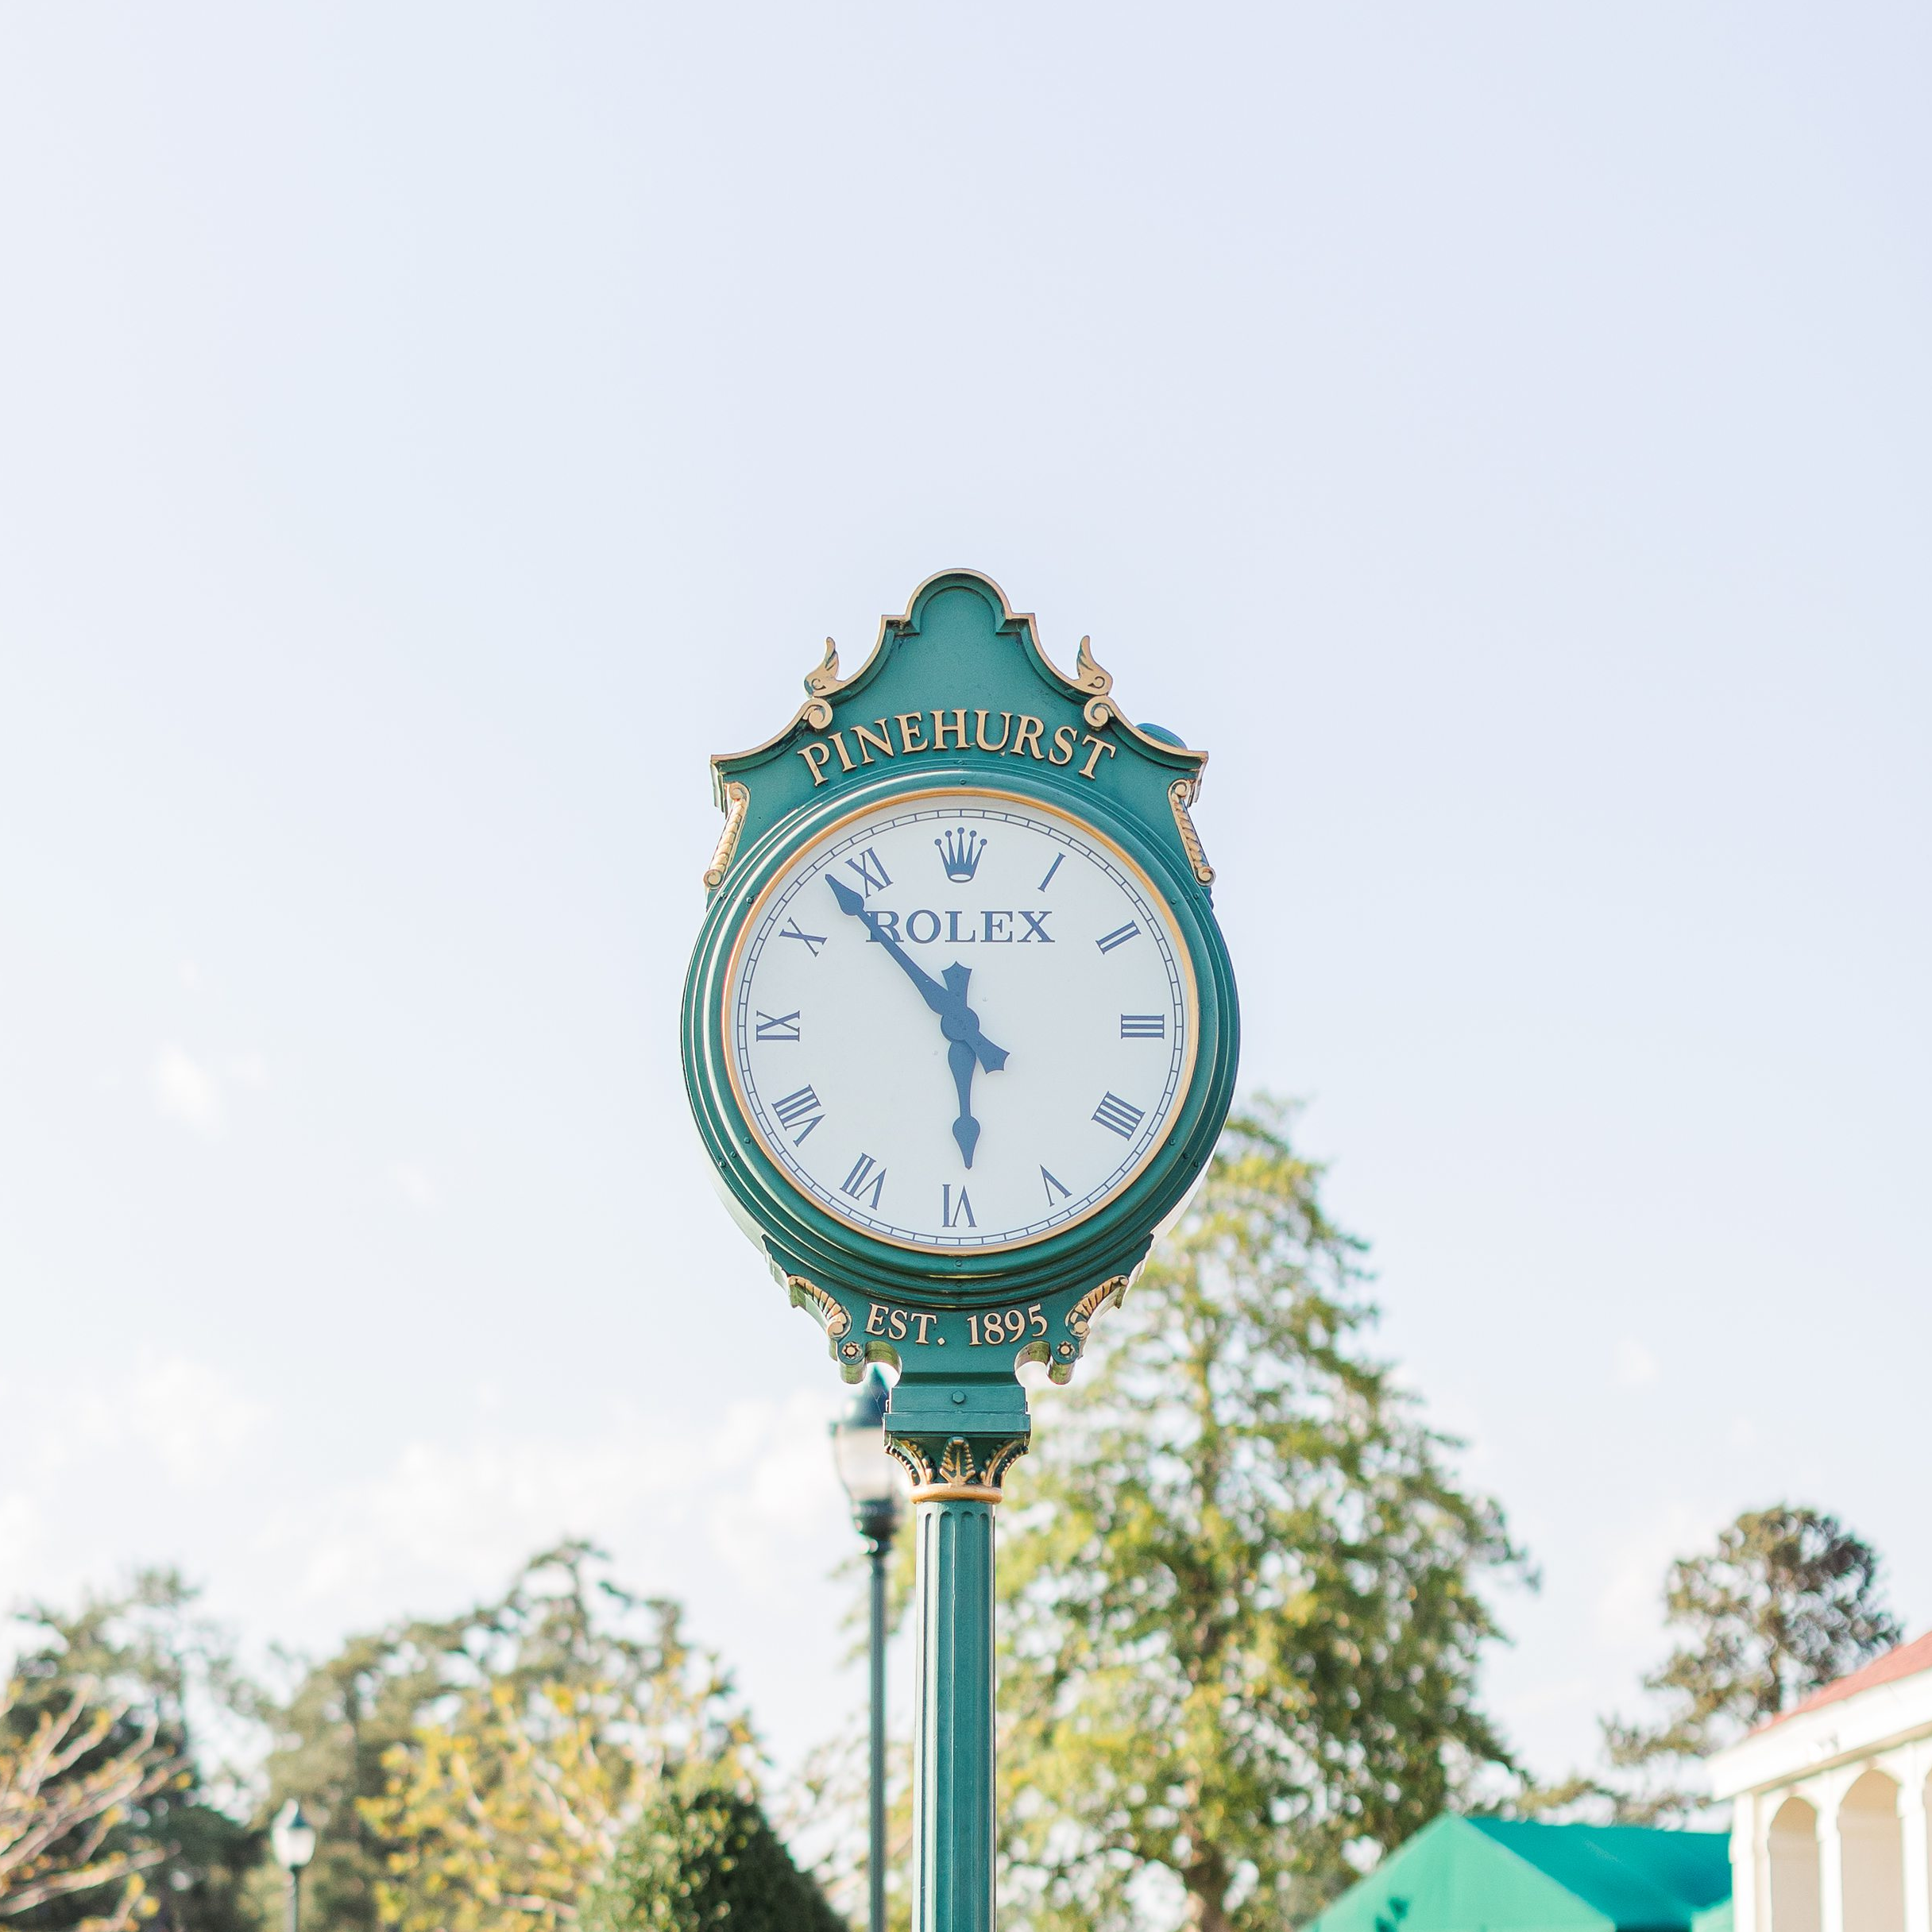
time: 5:52
